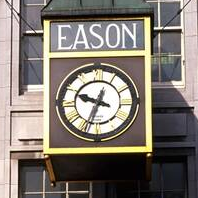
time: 9:34
